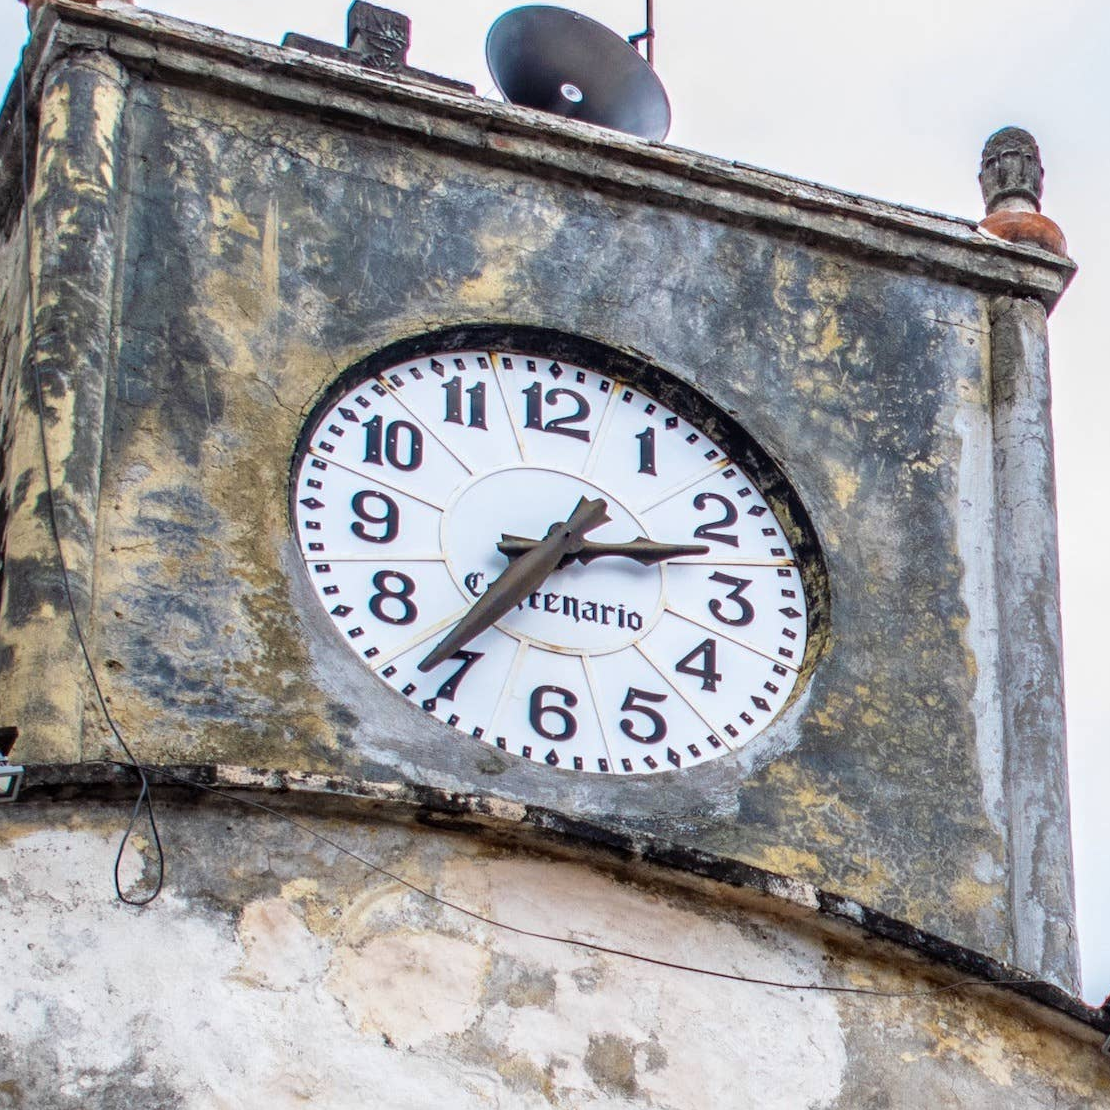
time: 2:36
